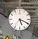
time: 5:18
